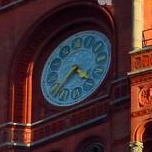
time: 4:37
